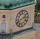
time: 2:40
